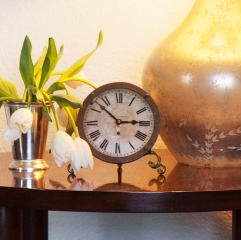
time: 2:52
